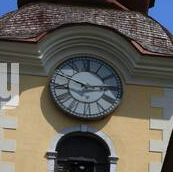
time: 2:48
